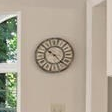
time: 10:22
